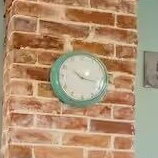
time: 10:17
